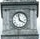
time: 3:58
